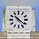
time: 10:21
